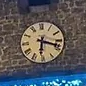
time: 6:18
